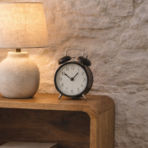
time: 10:07
